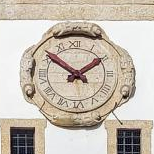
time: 1:51
